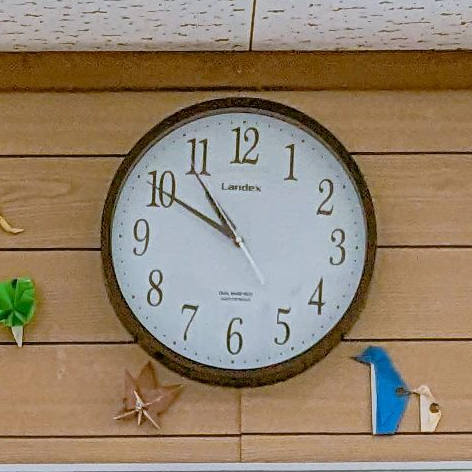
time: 10:49
